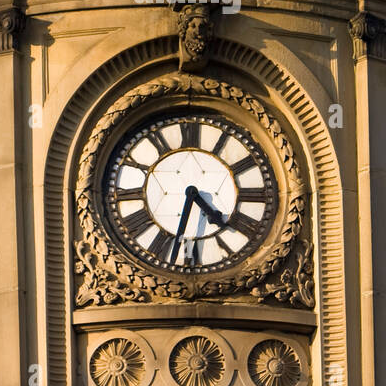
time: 4:33
